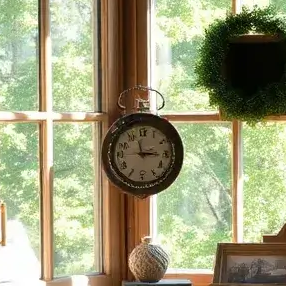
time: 2:58
